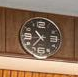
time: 10:36
